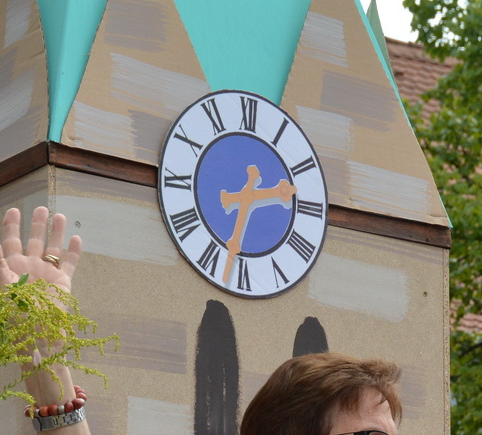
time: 2:32
